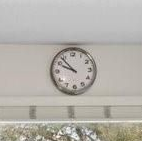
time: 9:53
